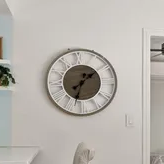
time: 1:33
